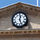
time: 12:26
